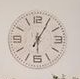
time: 6:05
